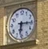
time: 6:15
